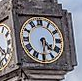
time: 4:30
